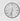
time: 6:32
